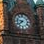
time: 7:47
